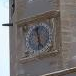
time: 5:59
